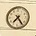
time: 7:24
